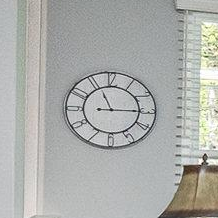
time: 11:15
